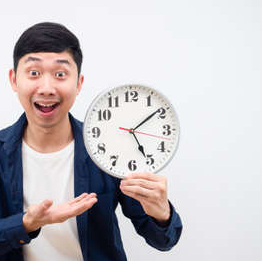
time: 5:08
